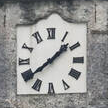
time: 1:38
